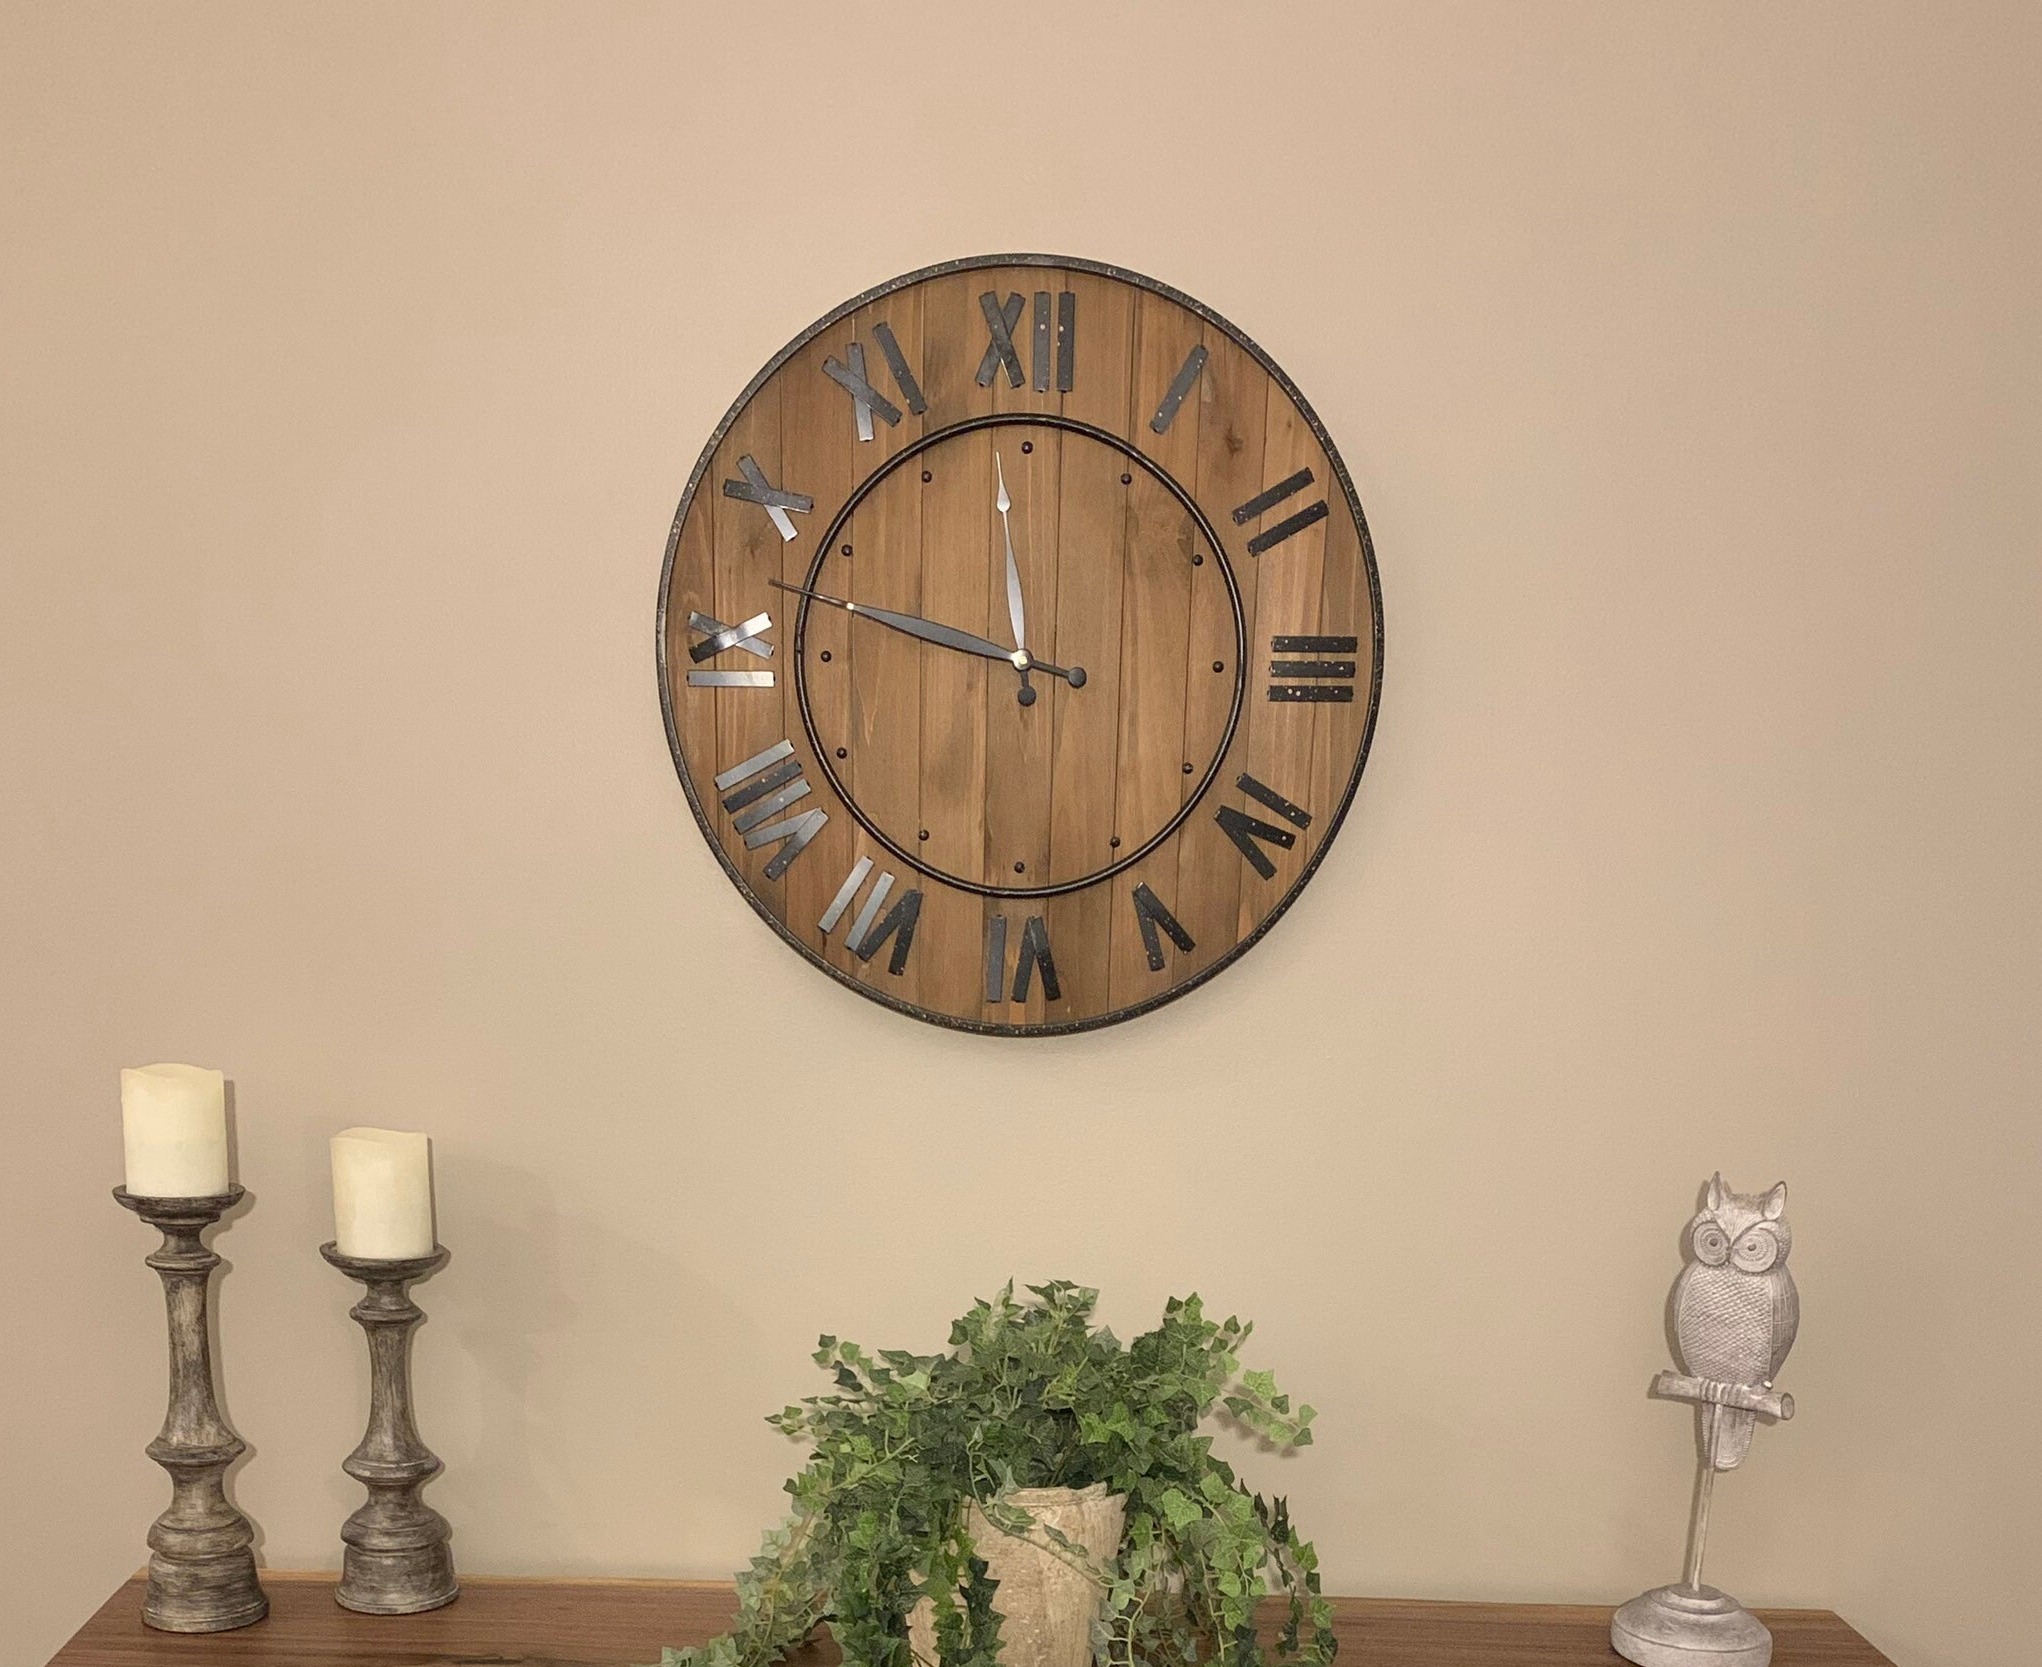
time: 11:47
